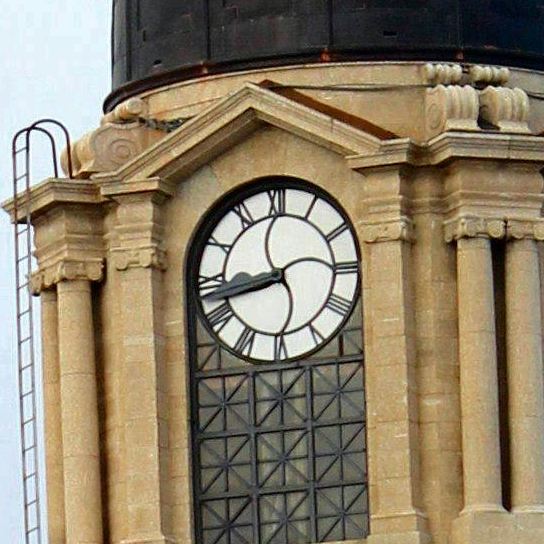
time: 8:42
